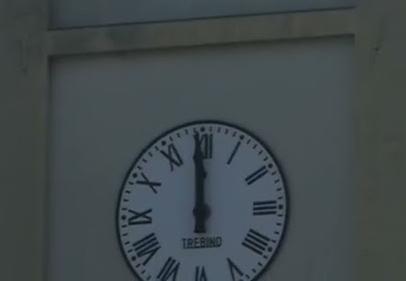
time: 11:59
